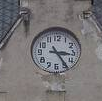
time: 3:24
